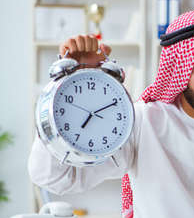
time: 7:10
